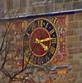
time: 4:12
